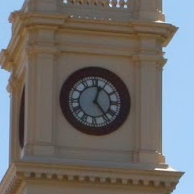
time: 12:23
